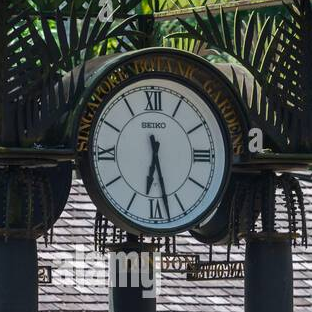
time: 6:27
